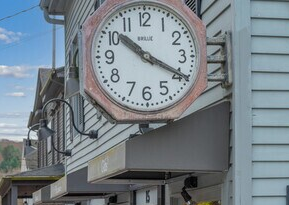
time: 10:19
